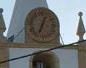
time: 12:33
